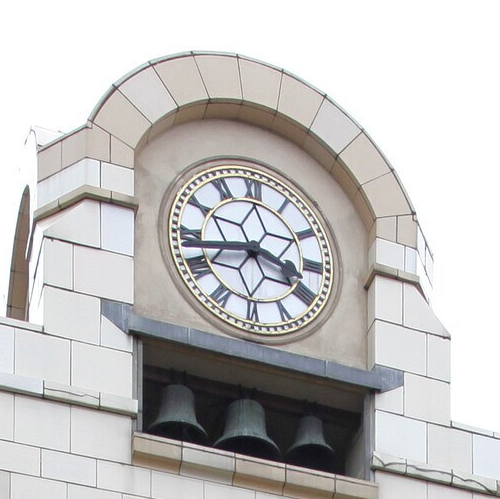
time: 3:43
